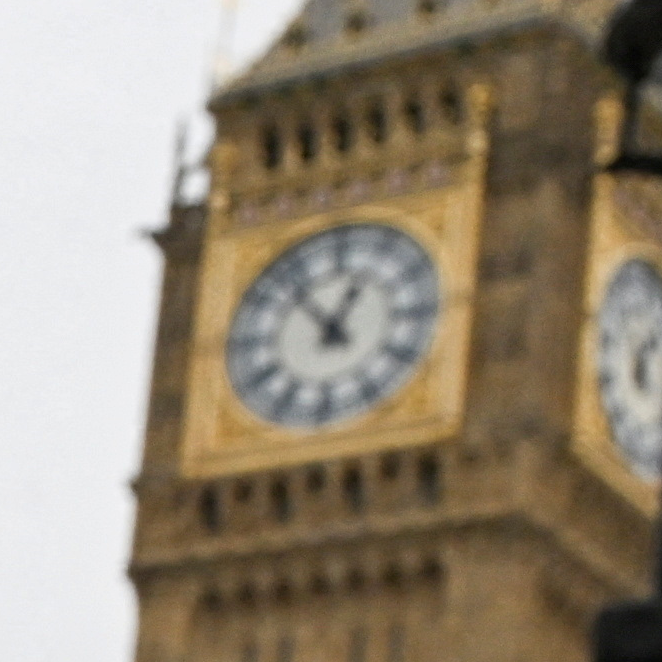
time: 12:53
